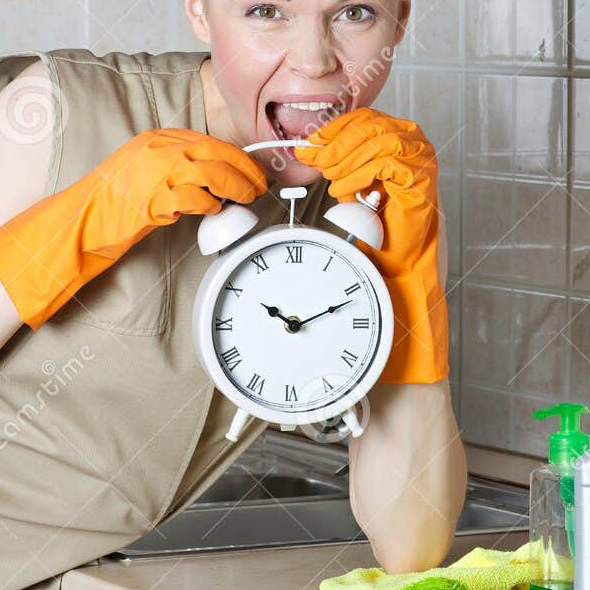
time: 10:11
